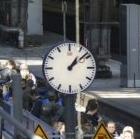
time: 1:08
